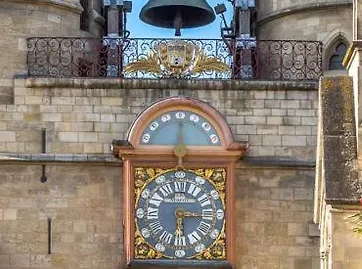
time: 6:15
